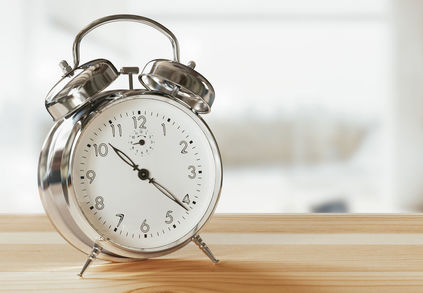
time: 10:21
